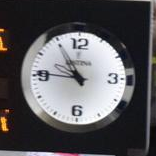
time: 10:45
